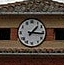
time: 1:16
